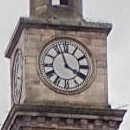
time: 3:56
